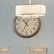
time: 10:34
